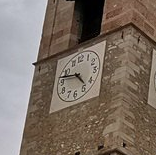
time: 4:47
